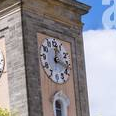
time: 12:17
